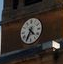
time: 4:34
